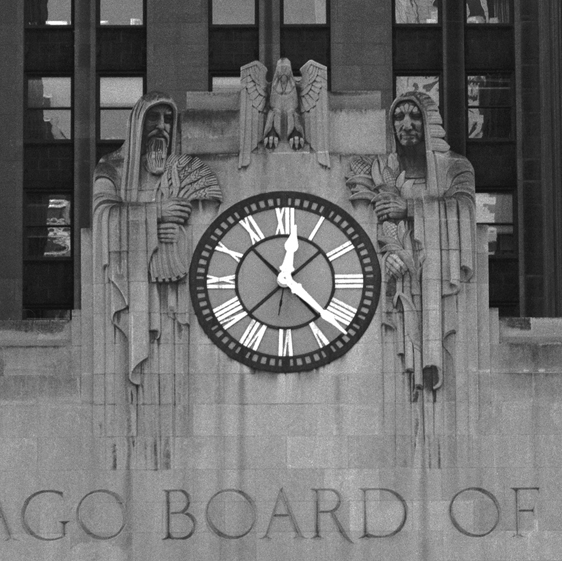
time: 12:22
